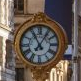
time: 11:05
